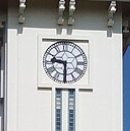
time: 9:30
